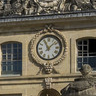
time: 11:08
